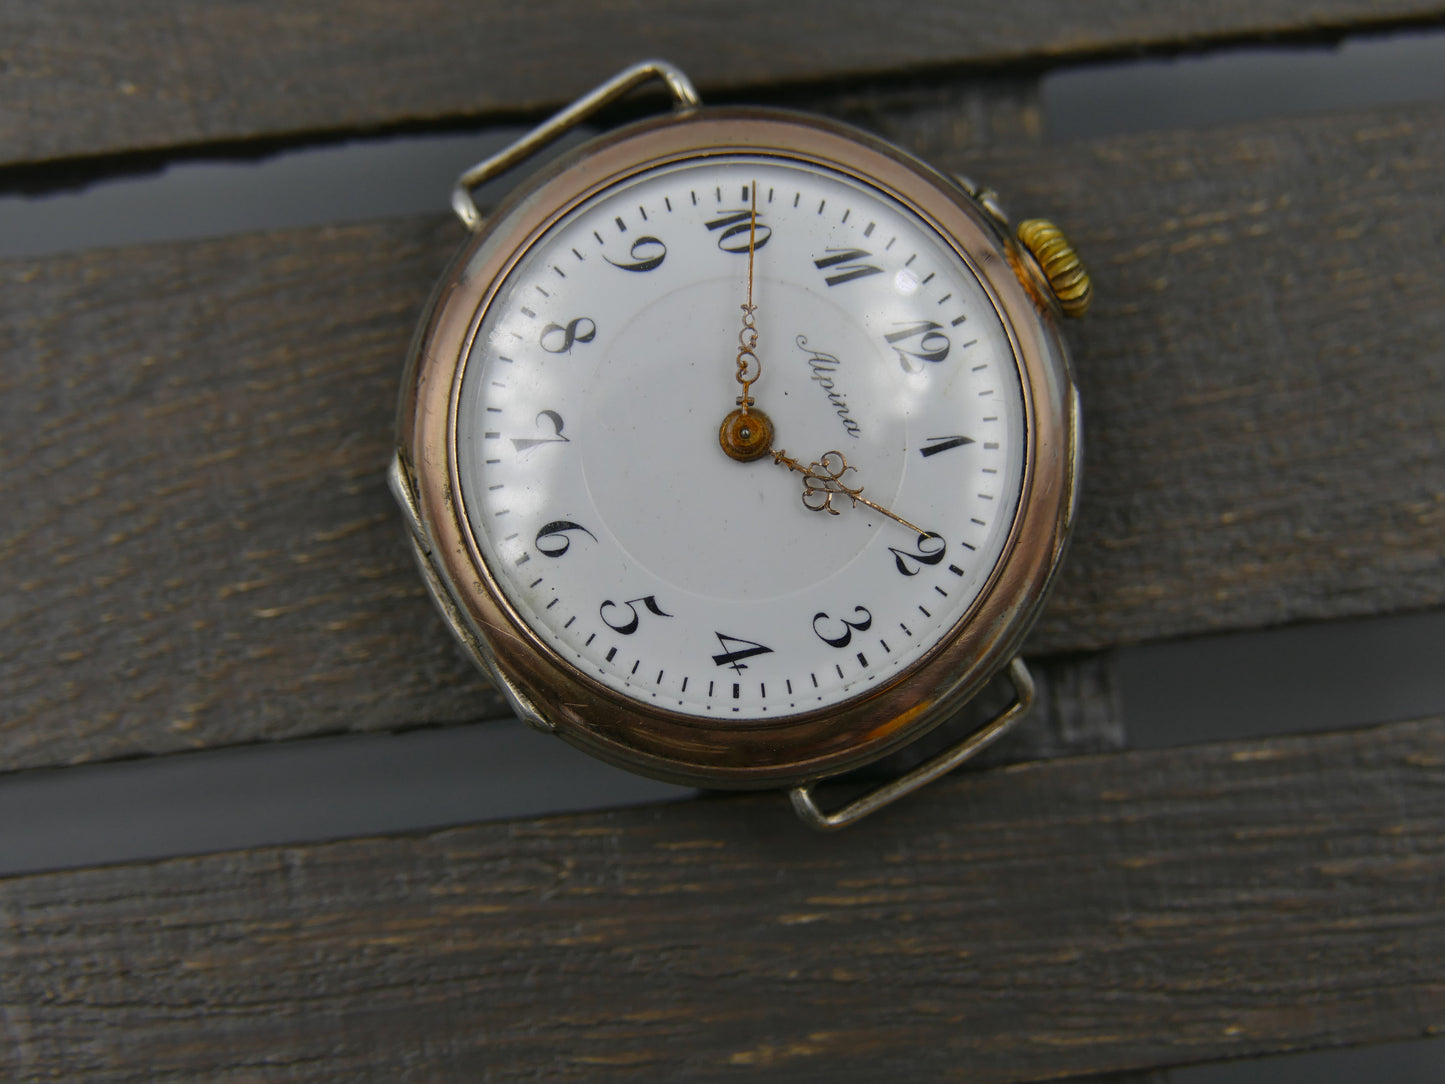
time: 4:00
